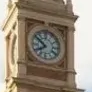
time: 7:51
